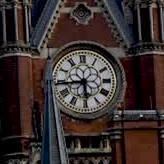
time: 5:44
